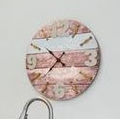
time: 10:37
